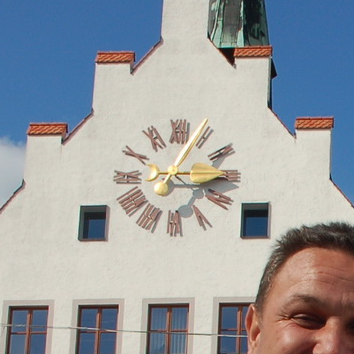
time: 3:04
